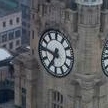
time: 6:46
